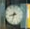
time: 8:33
